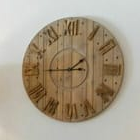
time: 1:45
